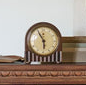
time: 5:55
